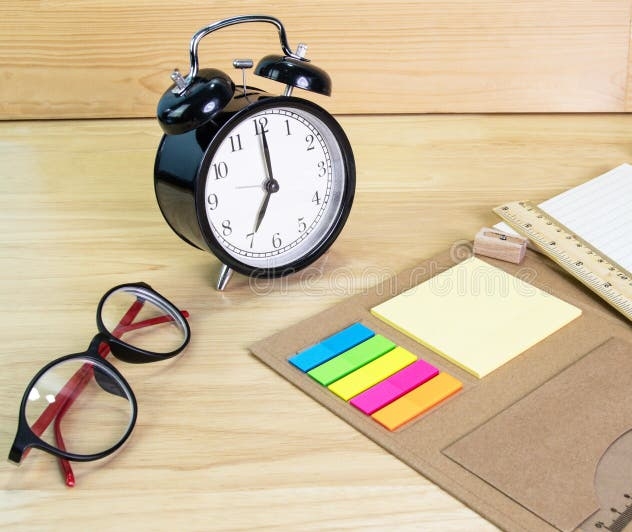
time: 7:00
